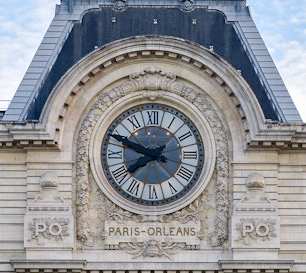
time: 7:48
